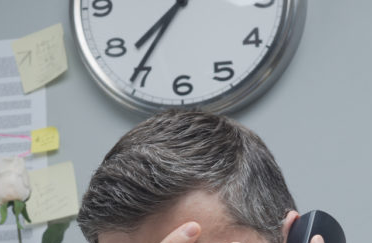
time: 7:35
